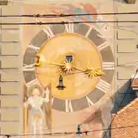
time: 6:17
